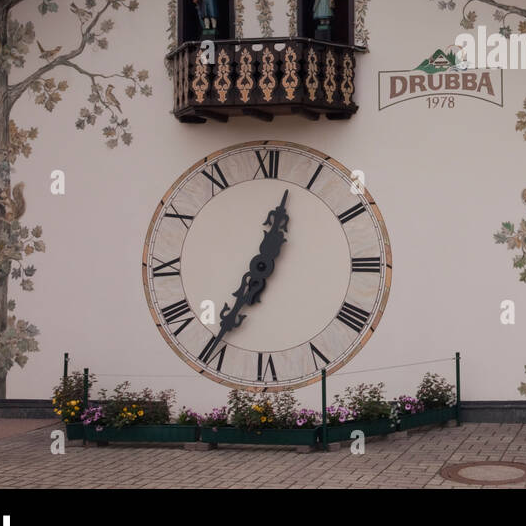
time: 12:34
